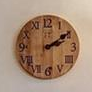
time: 2:09
